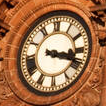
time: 3:18
